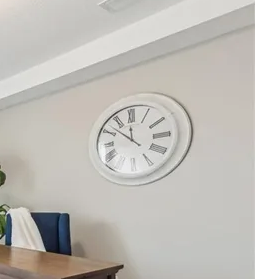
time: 11:51
